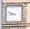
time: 8:48
